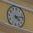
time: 4:13
